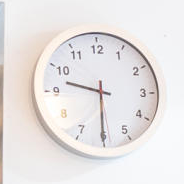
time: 9:30
